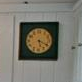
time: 5:19
